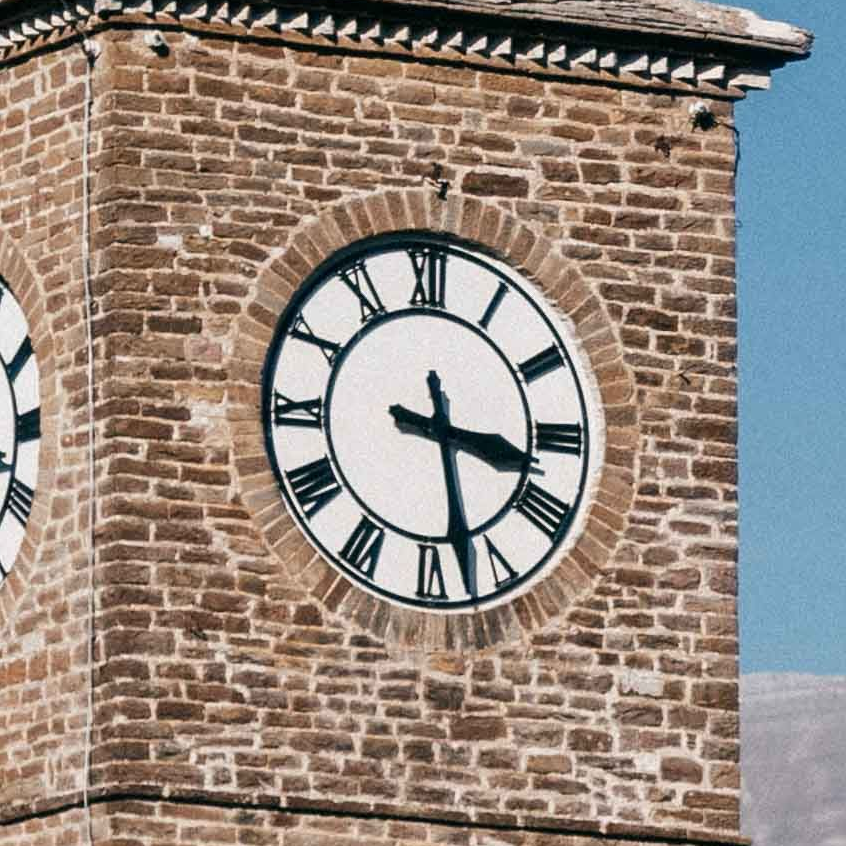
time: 3:27
